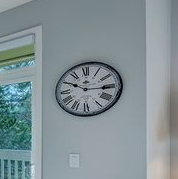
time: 10:14
